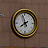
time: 7:57
